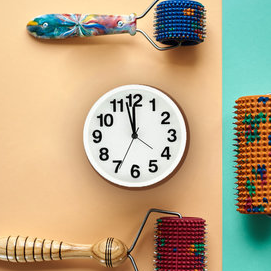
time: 11:57
